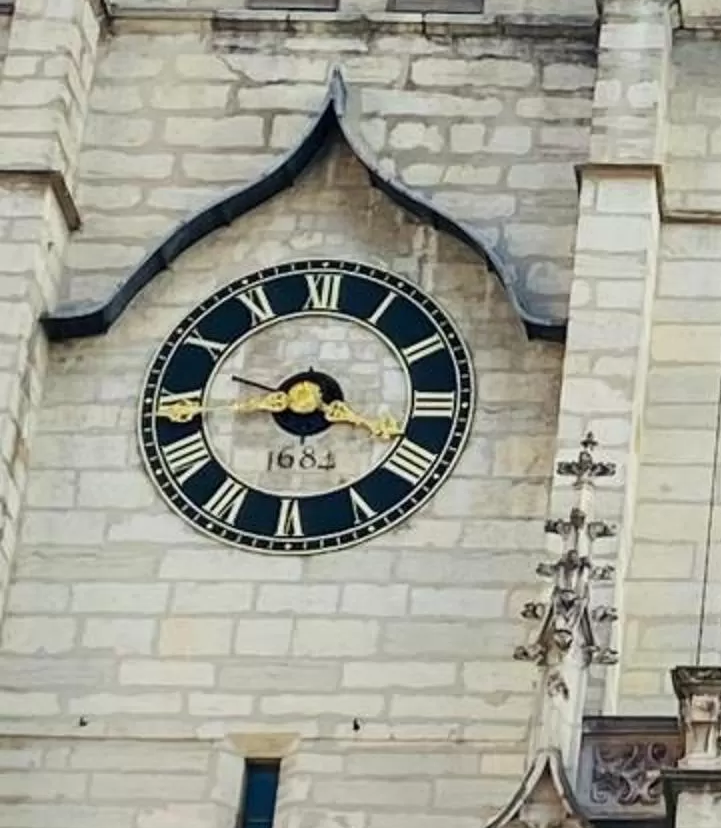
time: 8:48
